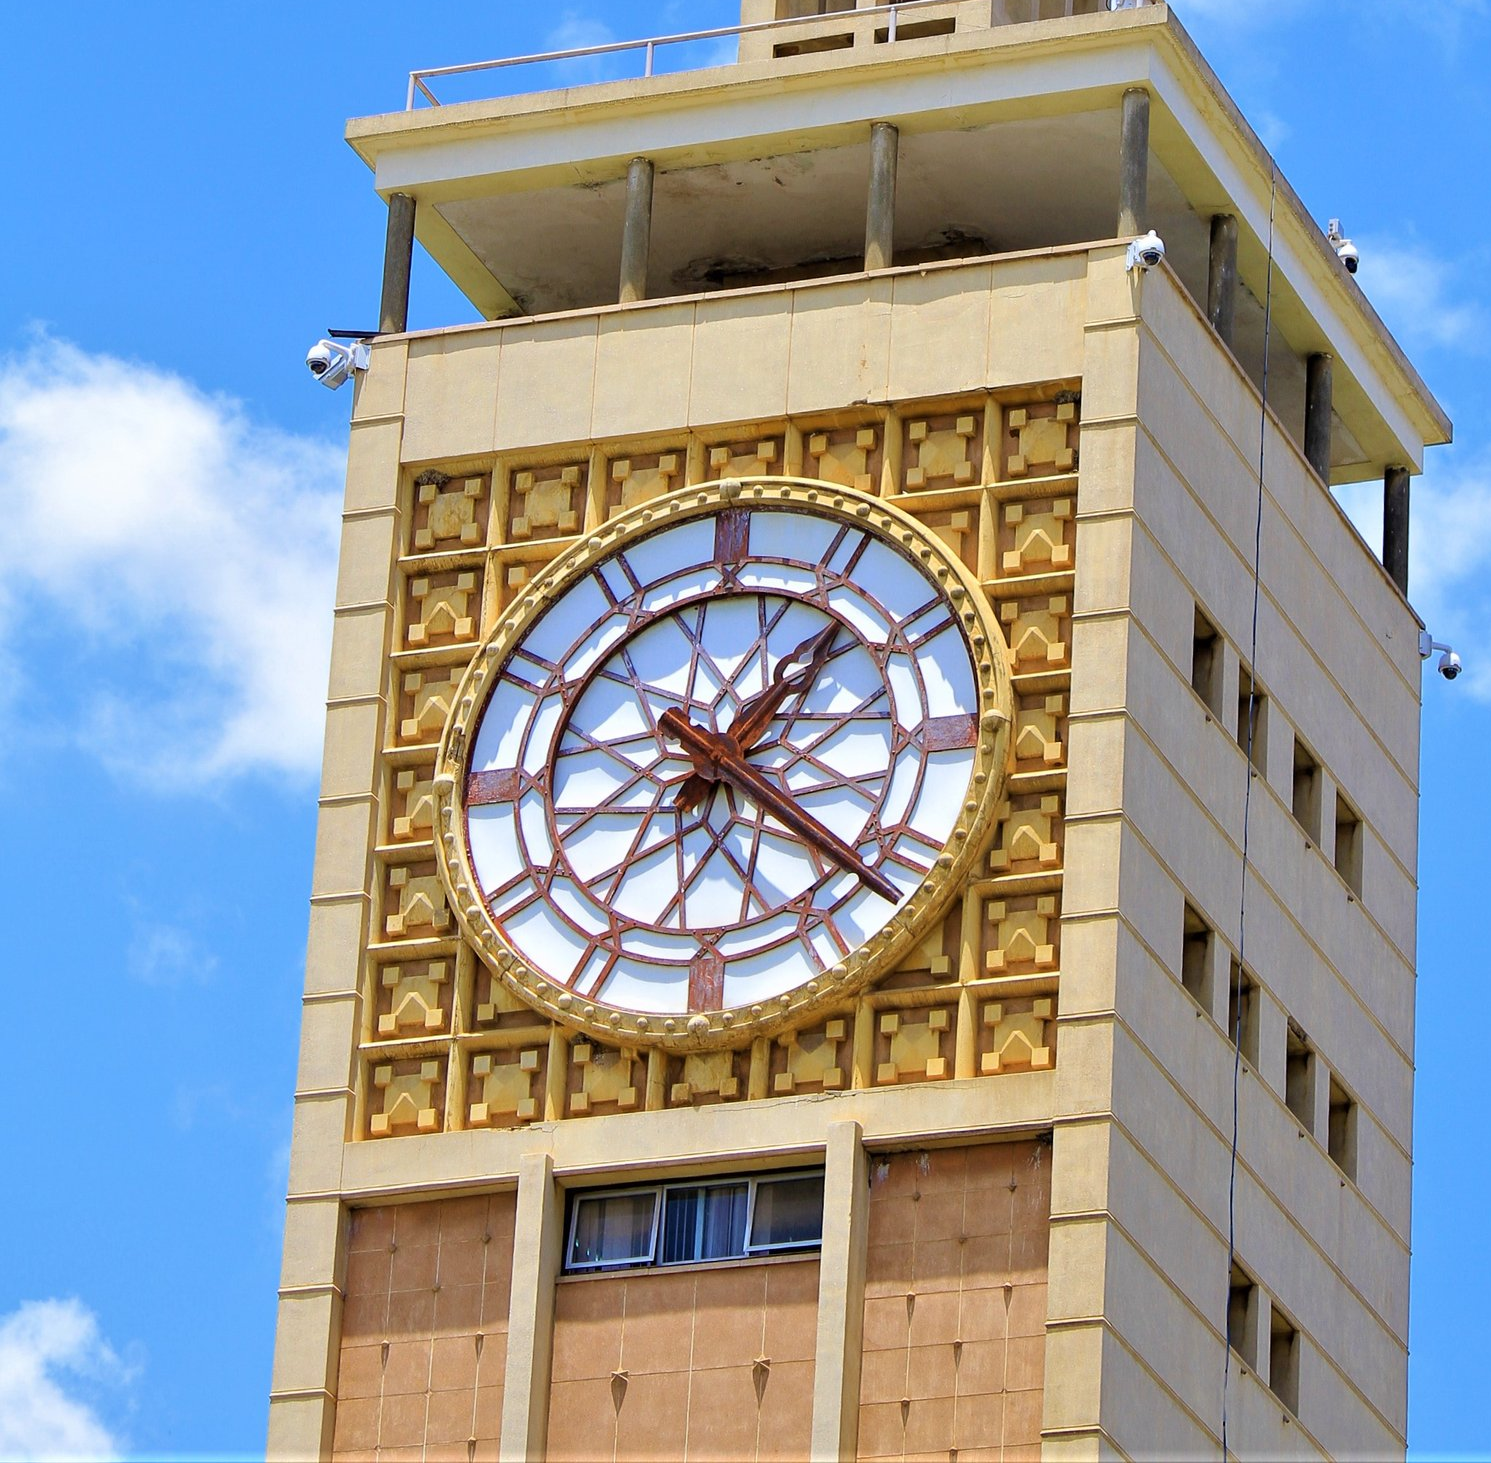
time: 1:21
